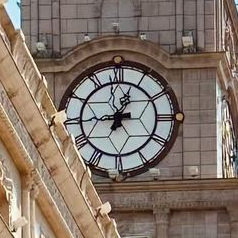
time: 12:44
